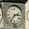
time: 2:36
